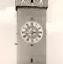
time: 6:14
